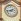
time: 1:43
